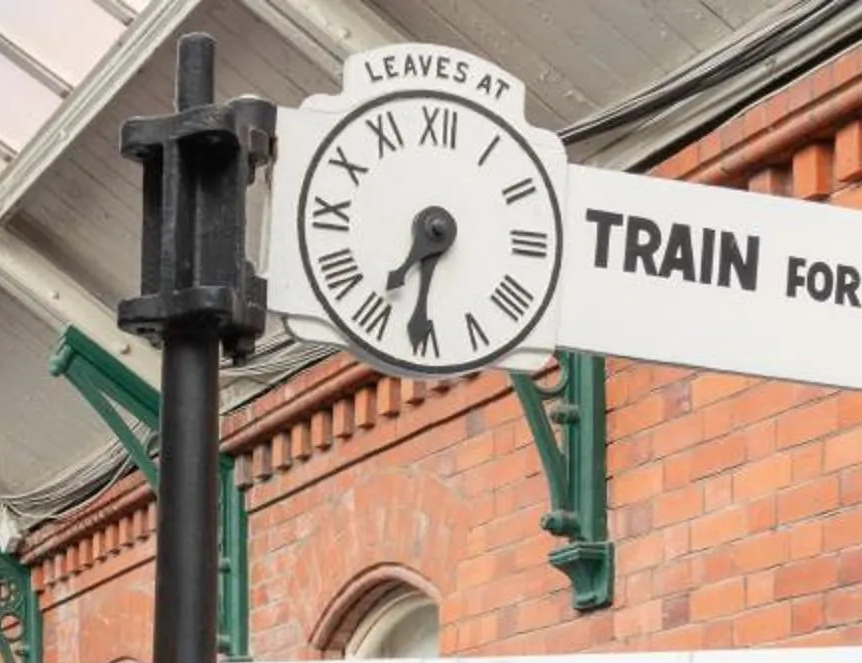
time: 7:31
